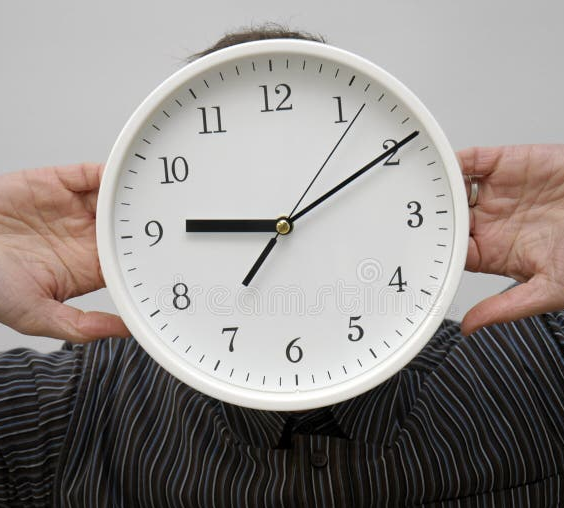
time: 9:09
